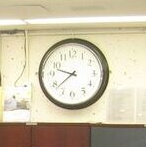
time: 9:38
